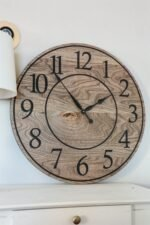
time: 1:53
